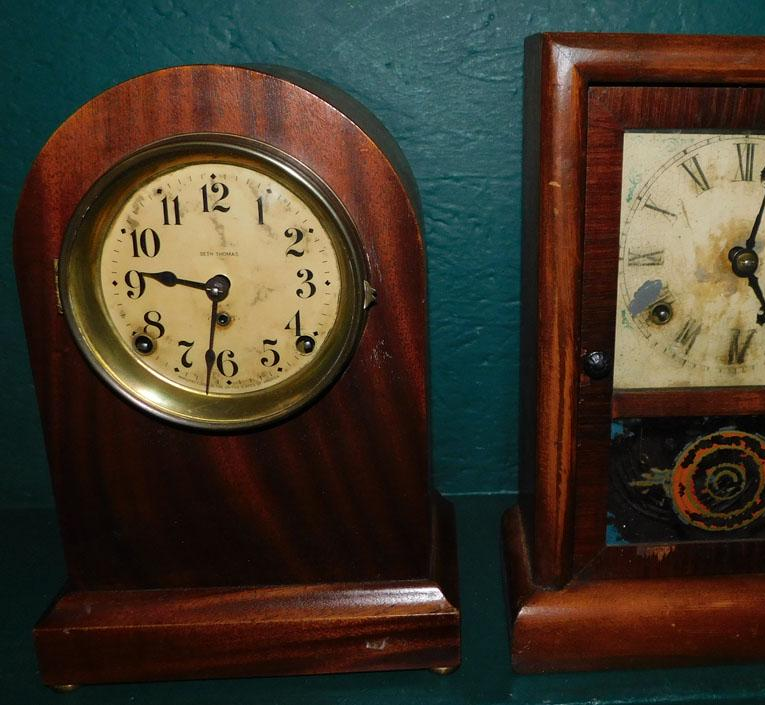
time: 9:32
